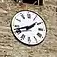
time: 1:42
